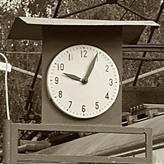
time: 12:48
